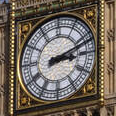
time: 3:11
